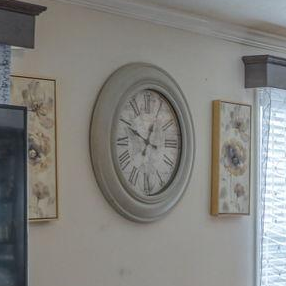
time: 12:49
